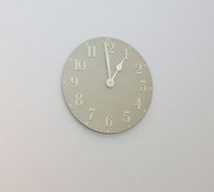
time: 12:59
